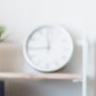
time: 11:44
